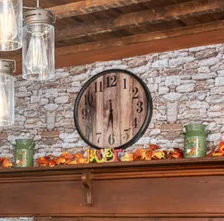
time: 6:29
